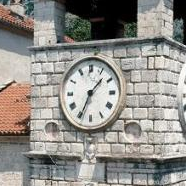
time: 1:34
